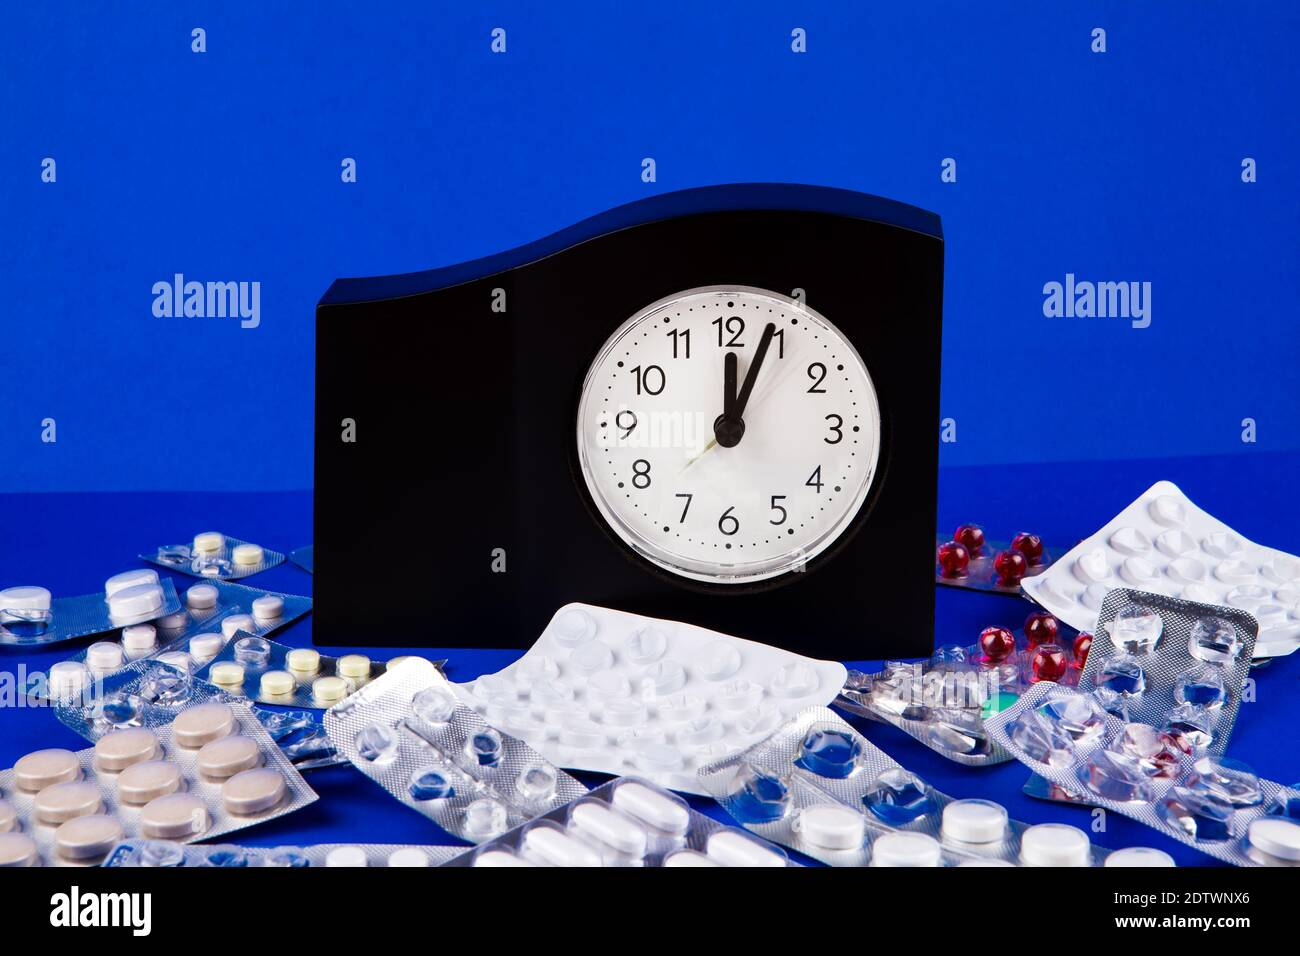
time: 12:03
